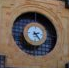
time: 2:23
